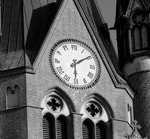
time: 6:09
